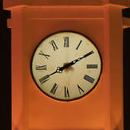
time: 8:10
